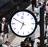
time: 6:49
